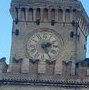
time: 2:25
